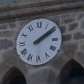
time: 2:09
